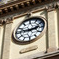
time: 2:46
